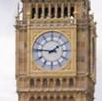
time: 1:46
